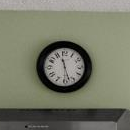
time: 11:27
